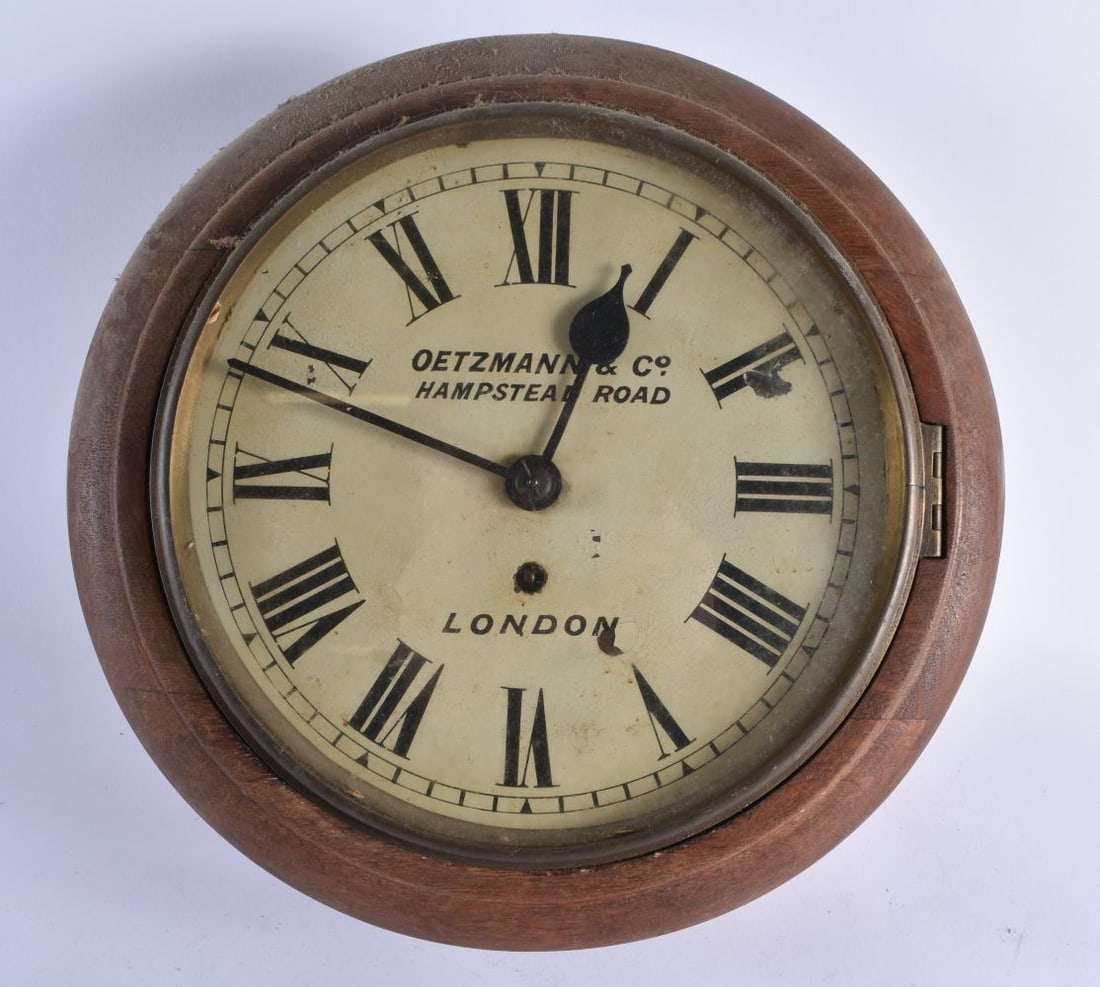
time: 12:48
